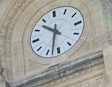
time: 10:32
